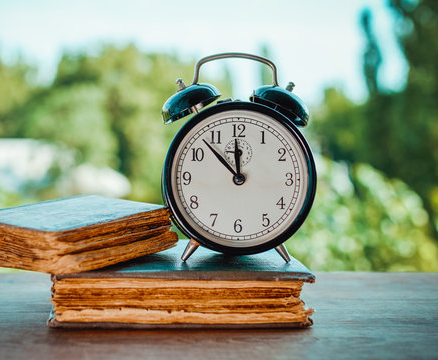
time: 11:52
